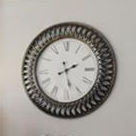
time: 2:27
